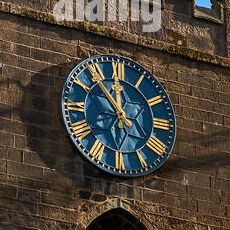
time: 11:53
